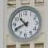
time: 10:41
